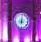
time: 9:01
